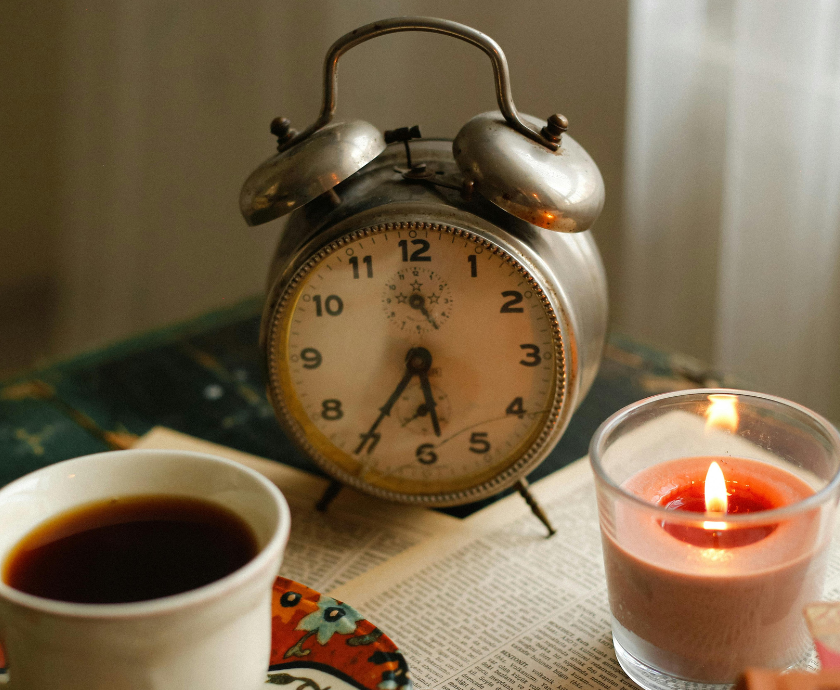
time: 5:35
